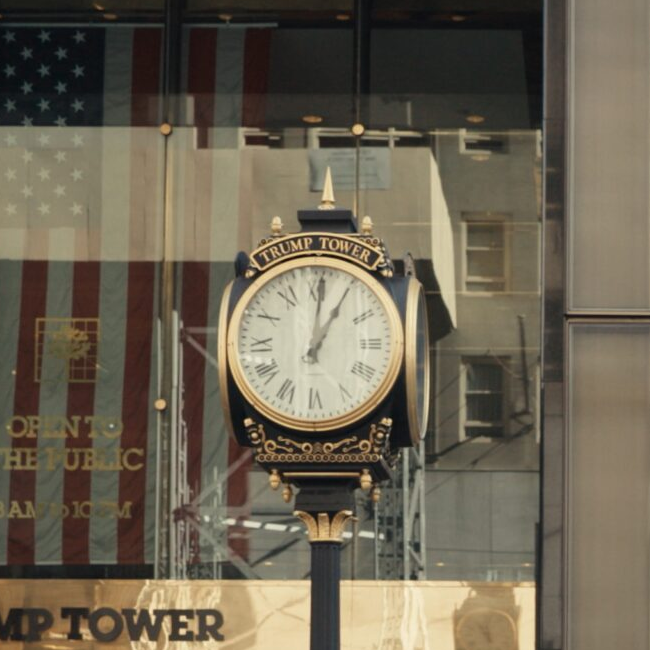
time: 1:01
